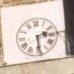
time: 2:29
